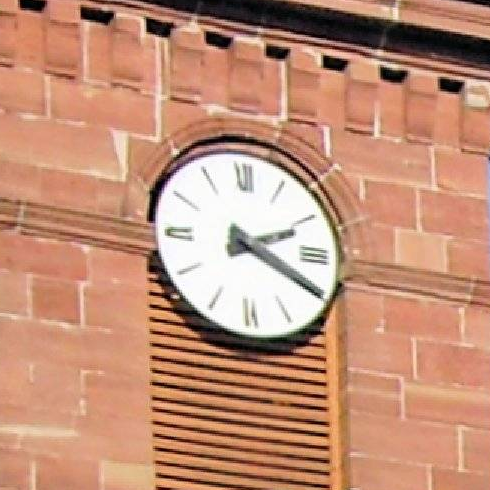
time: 2:19
